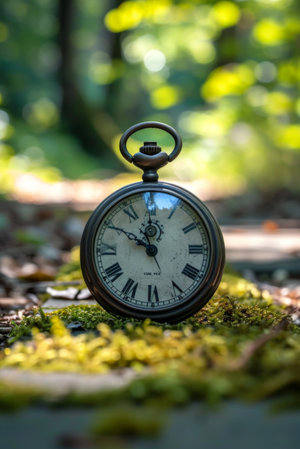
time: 11:50
